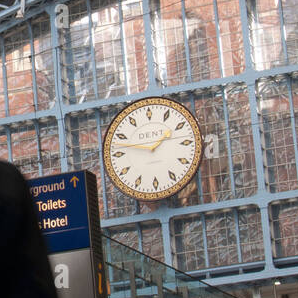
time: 1:47
